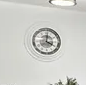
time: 4:01
